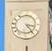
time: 3:23
